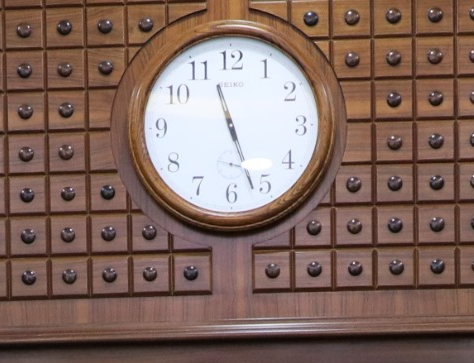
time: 11:26
